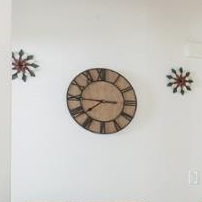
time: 7:45
